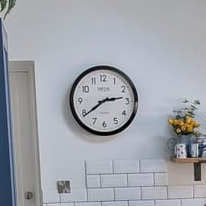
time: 2:39
